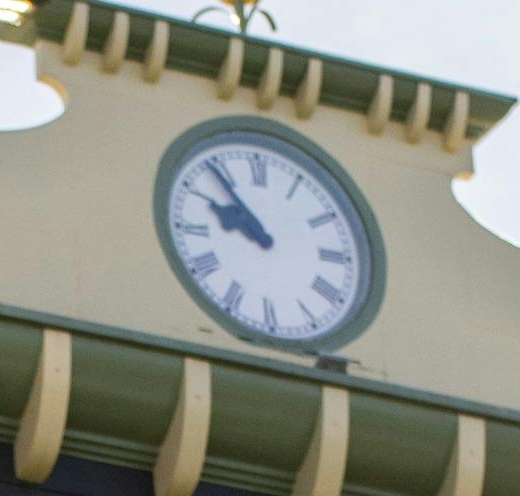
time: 9:53
